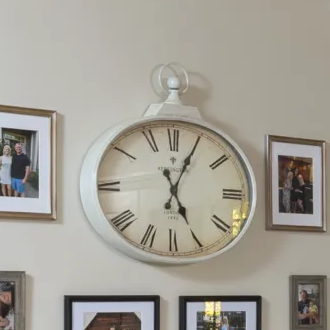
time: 5:04
